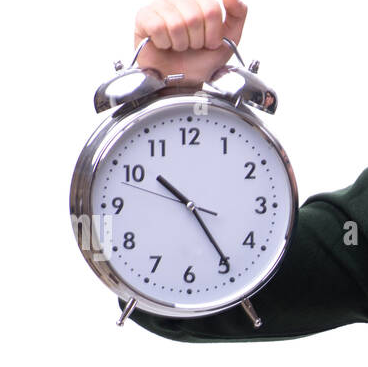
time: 10:24
